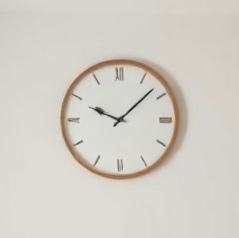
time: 10:07
